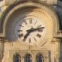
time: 7:12
